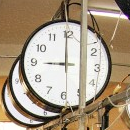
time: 9:00
